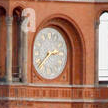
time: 2:38
